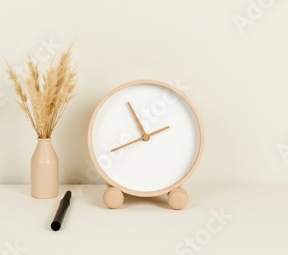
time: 10:41
